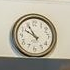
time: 9:54
